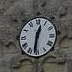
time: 12:31
